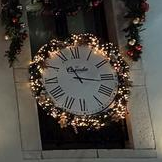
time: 11:16
